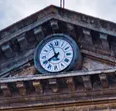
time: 7:56
